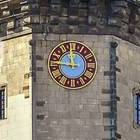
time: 11:46
